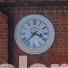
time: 3:37
